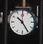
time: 10:24
